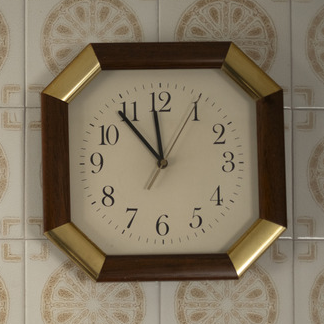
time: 11:53
